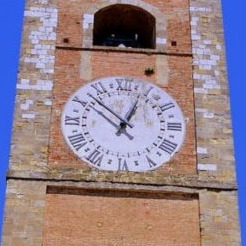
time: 12:52
